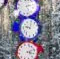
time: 9:01
